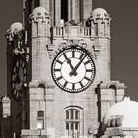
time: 11:06
